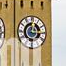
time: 12:14
